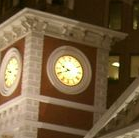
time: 9:41
